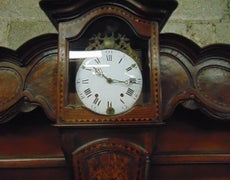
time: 10:16
